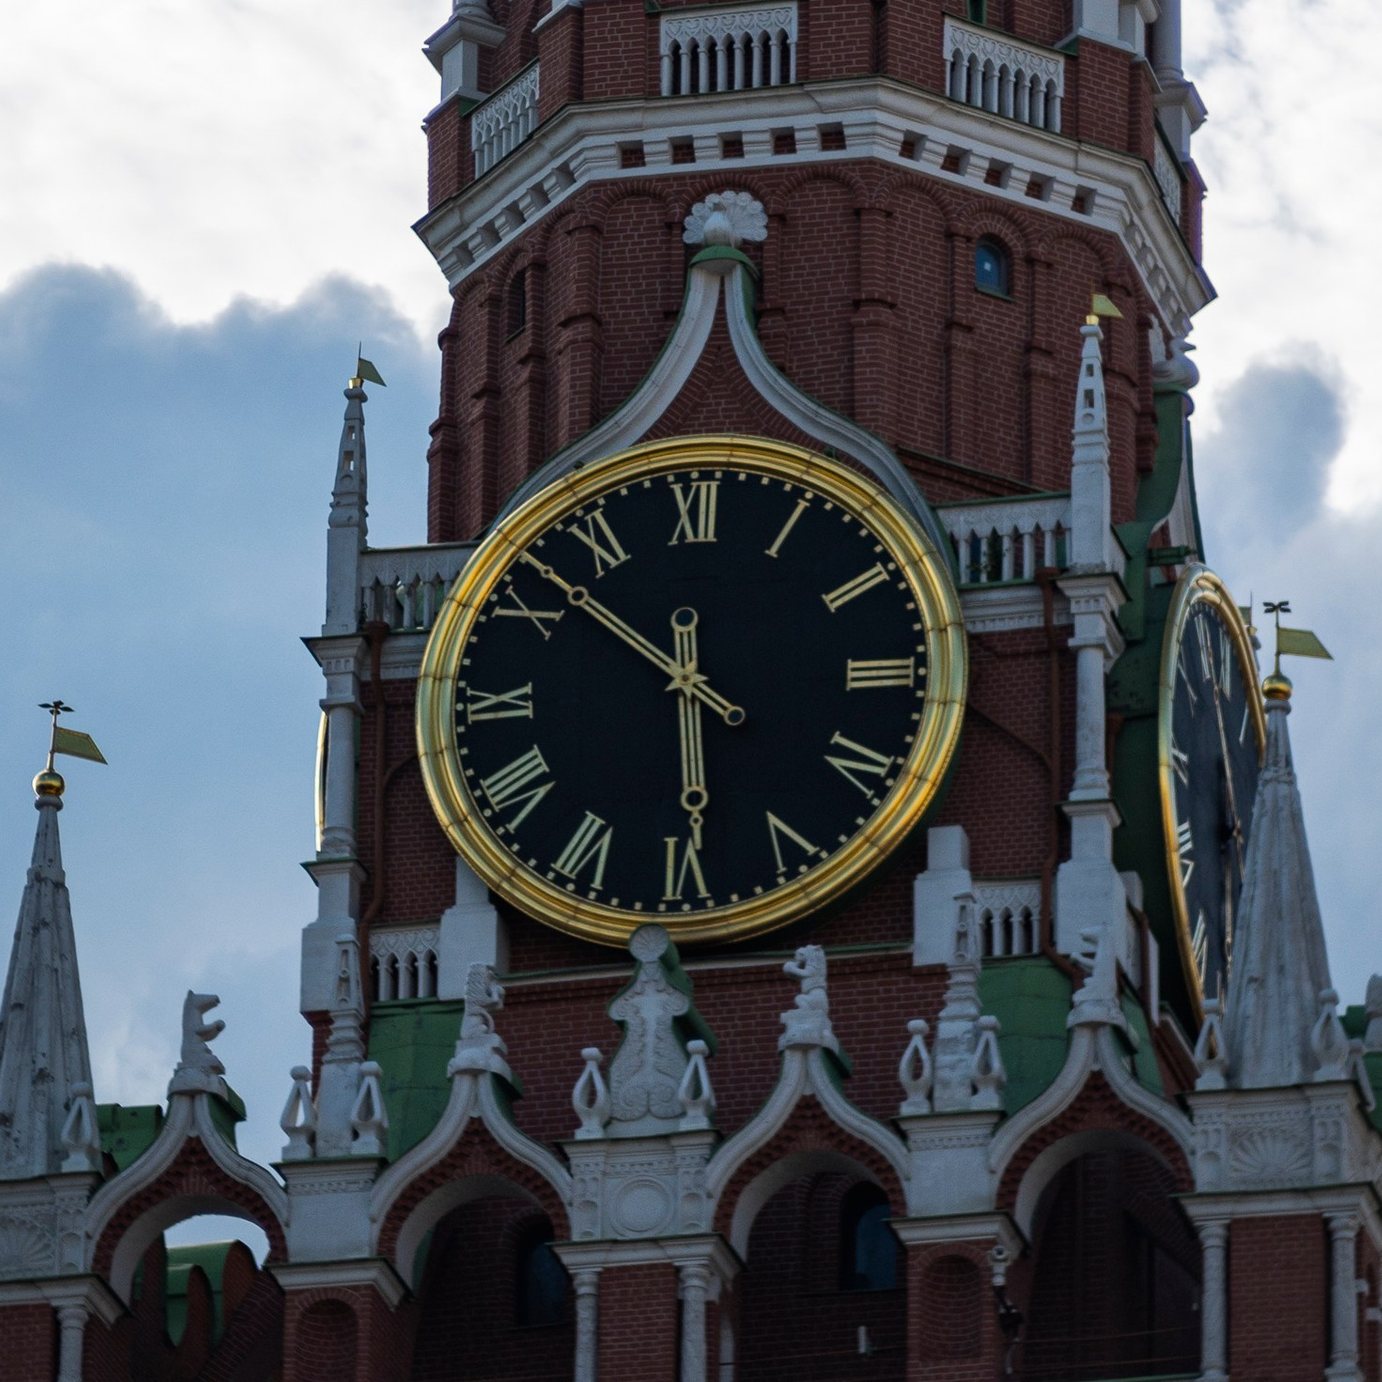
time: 5:52
